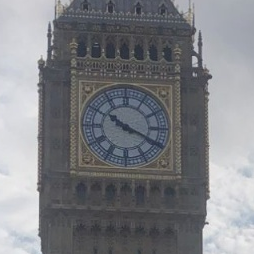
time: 10:19
